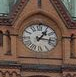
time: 1:16
